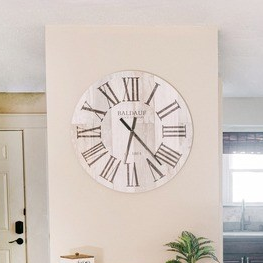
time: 6:22
